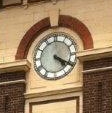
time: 4:19
